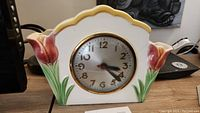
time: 3:22
